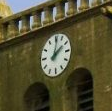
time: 2:01
